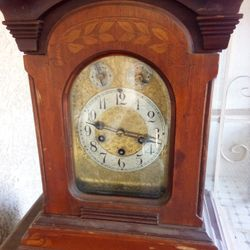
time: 9:16
